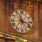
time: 11:17
